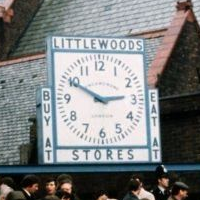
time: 2:49
